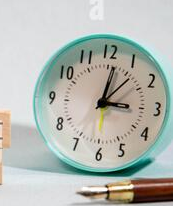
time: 3:01
